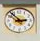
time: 2:53
